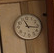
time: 11:16
